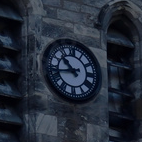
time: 10:42
